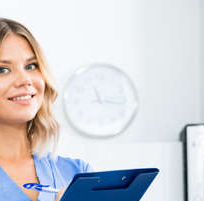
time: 11:16
